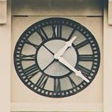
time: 1:21
